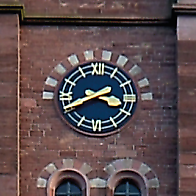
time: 3:40
